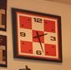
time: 2:26
